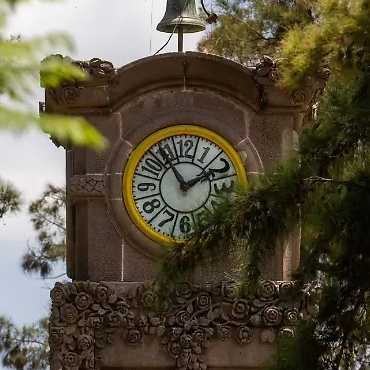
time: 1:54
